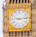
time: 9:14
